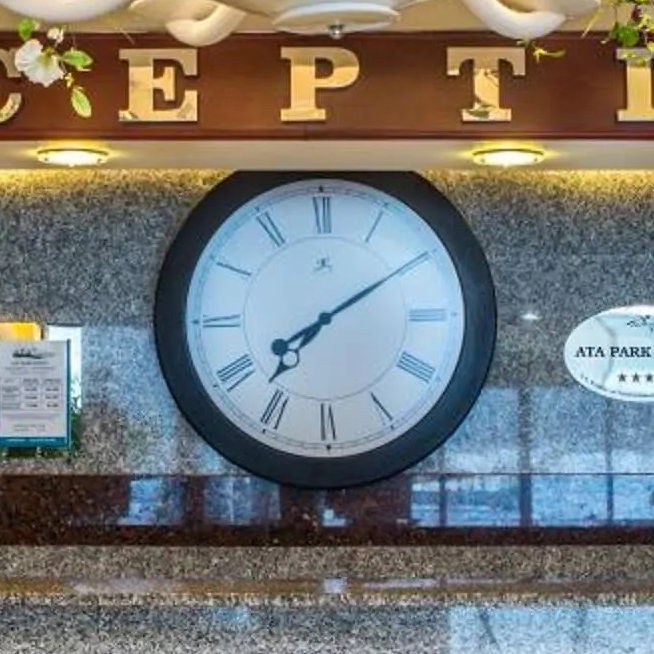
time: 7:09
